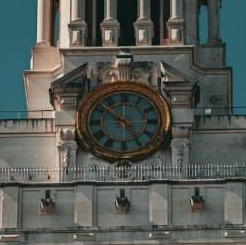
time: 10:25
